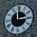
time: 2:59
